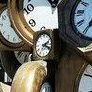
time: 2:18
